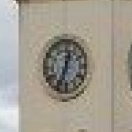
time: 12:33
